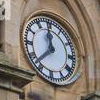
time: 11:37
